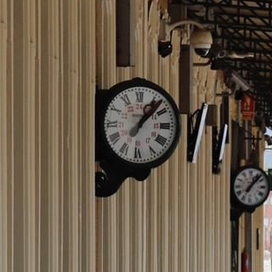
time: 1:07
